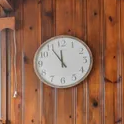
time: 11:54
